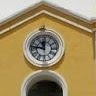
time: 11:46
